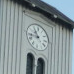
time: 10:43
